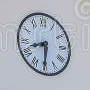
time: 8:30
